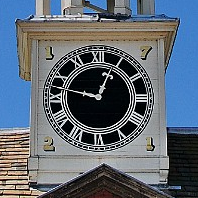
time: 12:47
